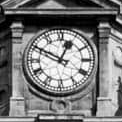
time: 12:49
